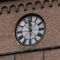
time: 11:58
